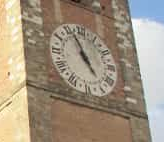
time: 4:56
